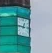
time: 12:46
